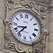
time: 8:36
